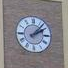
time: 2:07
